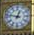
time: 12:47
